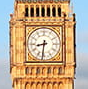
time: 8:31
